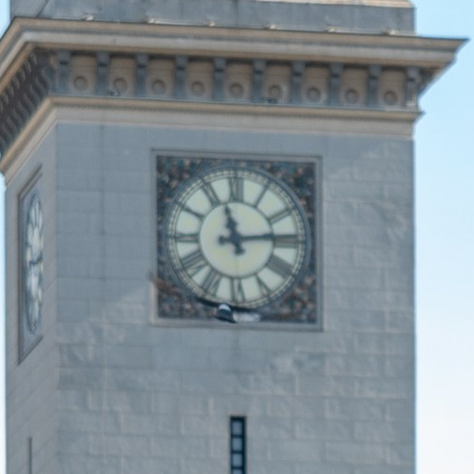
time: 11:13
